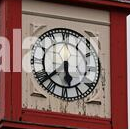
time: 5:38
